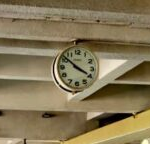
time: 3:51
